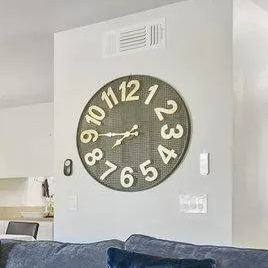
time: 7:45
